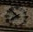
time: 7:52
